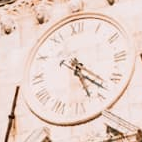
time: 5:22
